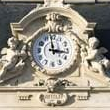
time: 2:58
